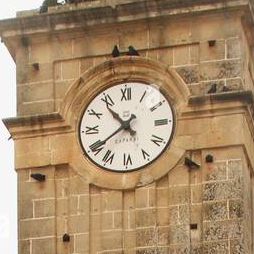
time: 10:39
